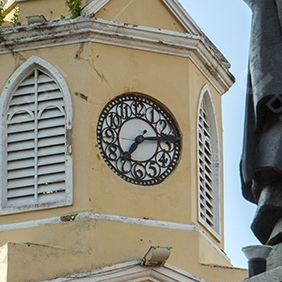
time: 7:13
